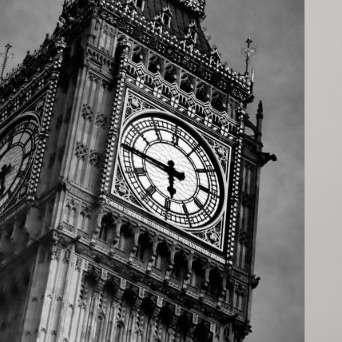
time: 5:45
